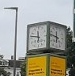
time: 11:46
